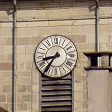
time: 8:35
